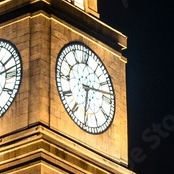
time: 6:13
